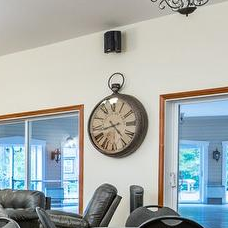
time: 4:42
